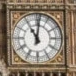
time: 11:01
